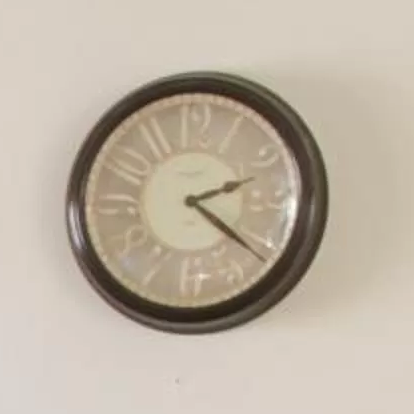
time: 2:21
